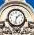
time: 1:32
